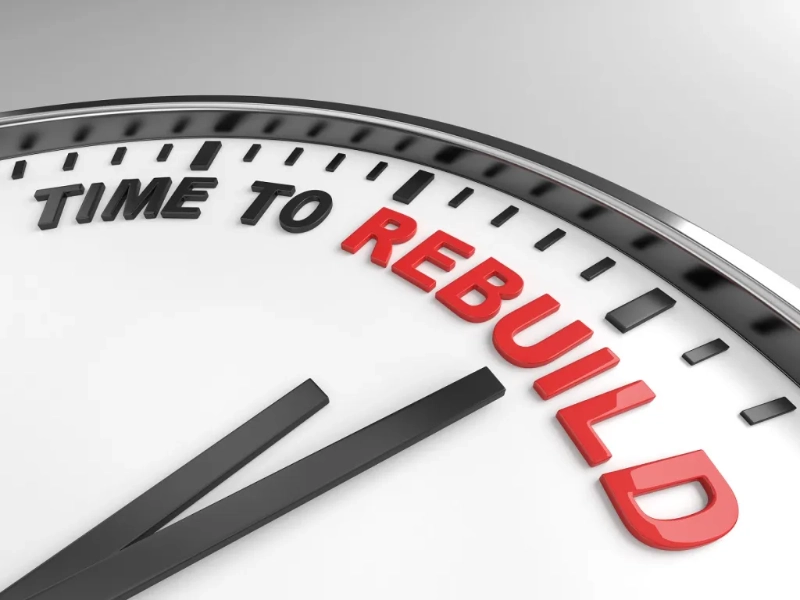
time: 1:08
